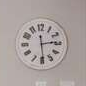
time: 2:29
